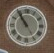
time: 10:54
